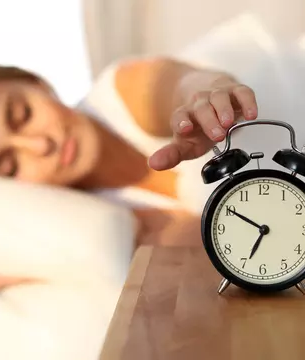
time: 6:50
